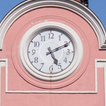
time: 5:10
